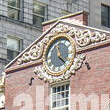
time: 11:22
